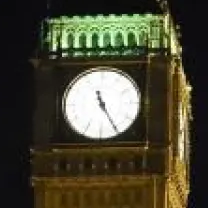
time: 11:25
